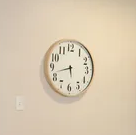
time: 5:42
